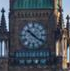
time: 10:21
